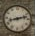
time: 8:12
